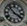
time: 3:52
